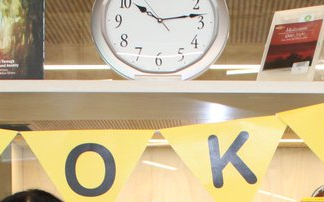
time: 10:13
